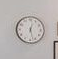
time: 12:27
